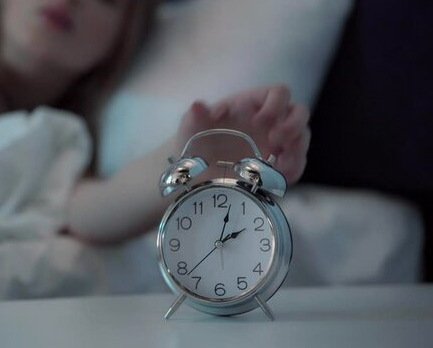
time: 2:02
